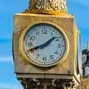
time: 1:41
